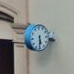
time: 5:30
